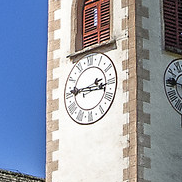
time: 2:45
